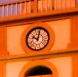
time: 10:00
